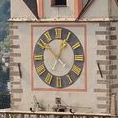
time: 12:52
